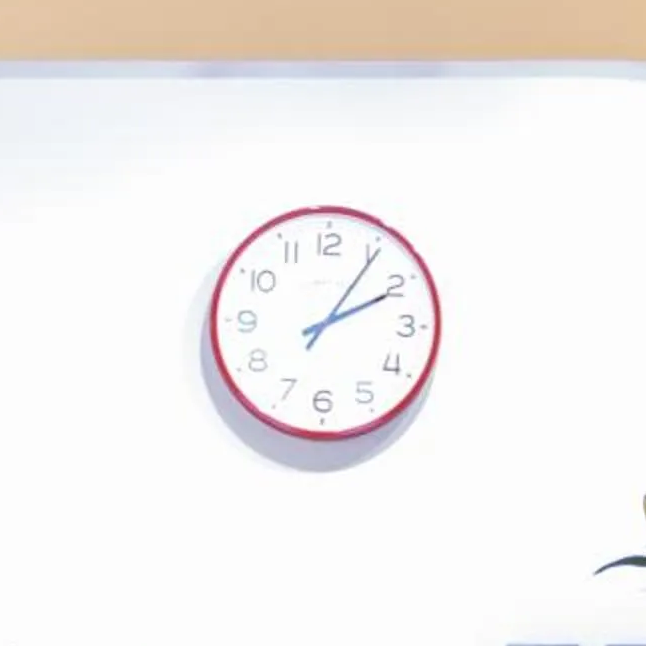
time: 2:05
